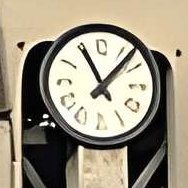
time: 11:07
